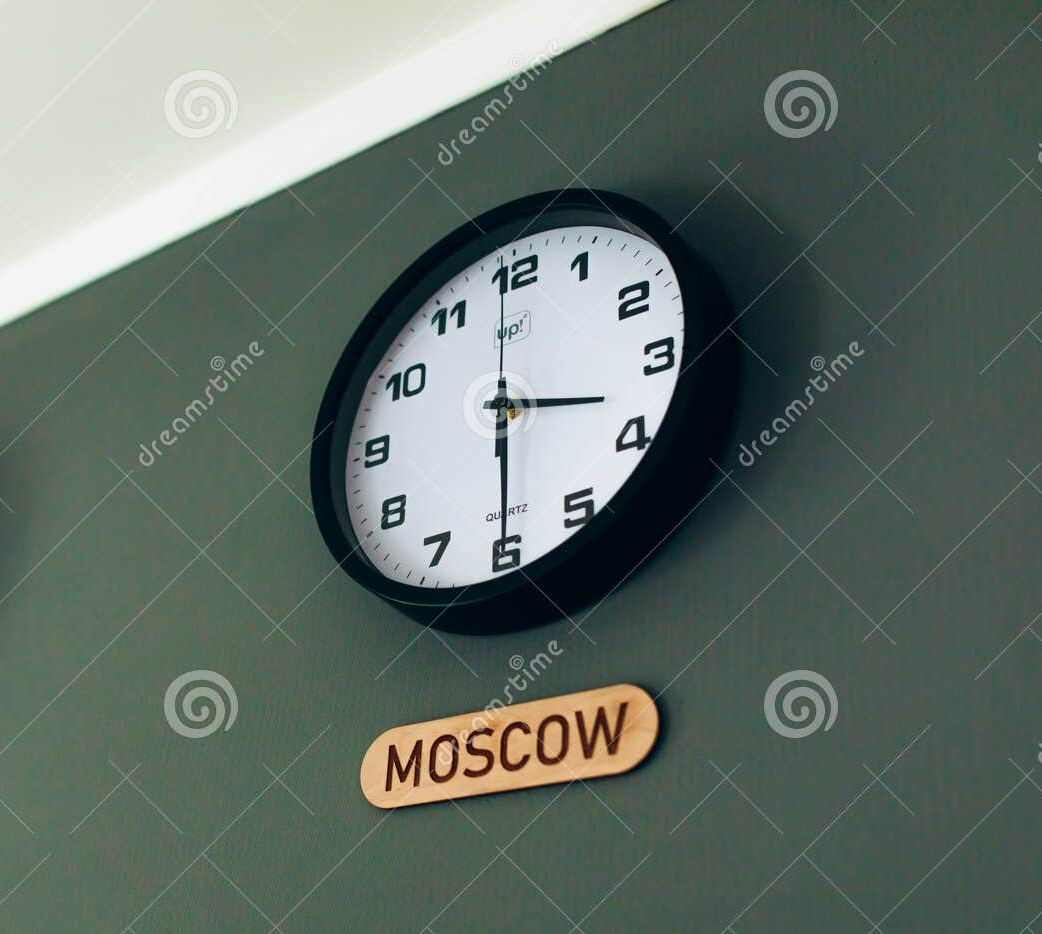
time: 3:29
